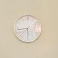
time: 5:43
